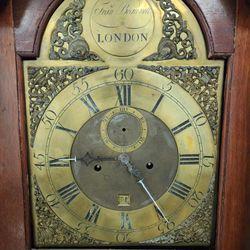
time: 4:45
